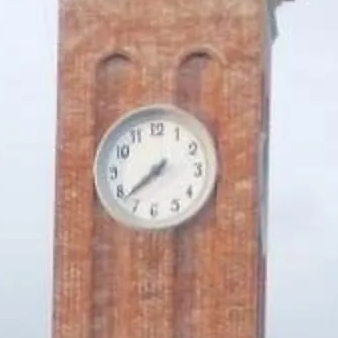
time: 7:38
